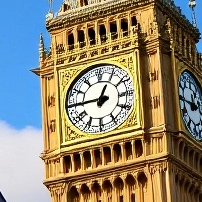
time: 12:45
